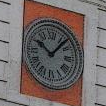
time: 10:07
